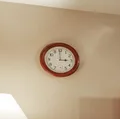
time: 2:59
